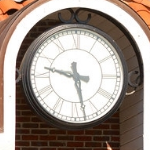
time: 9:27
